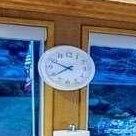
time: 7:49
